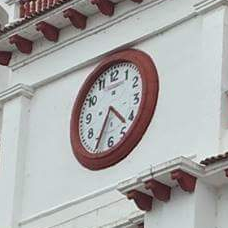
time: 4:34
